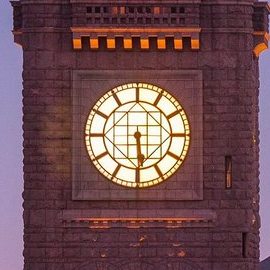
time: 5:29
